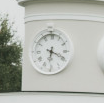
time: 6:18
